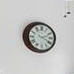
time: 2:19
